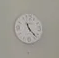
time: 11:22
